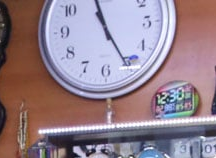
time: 11:25
